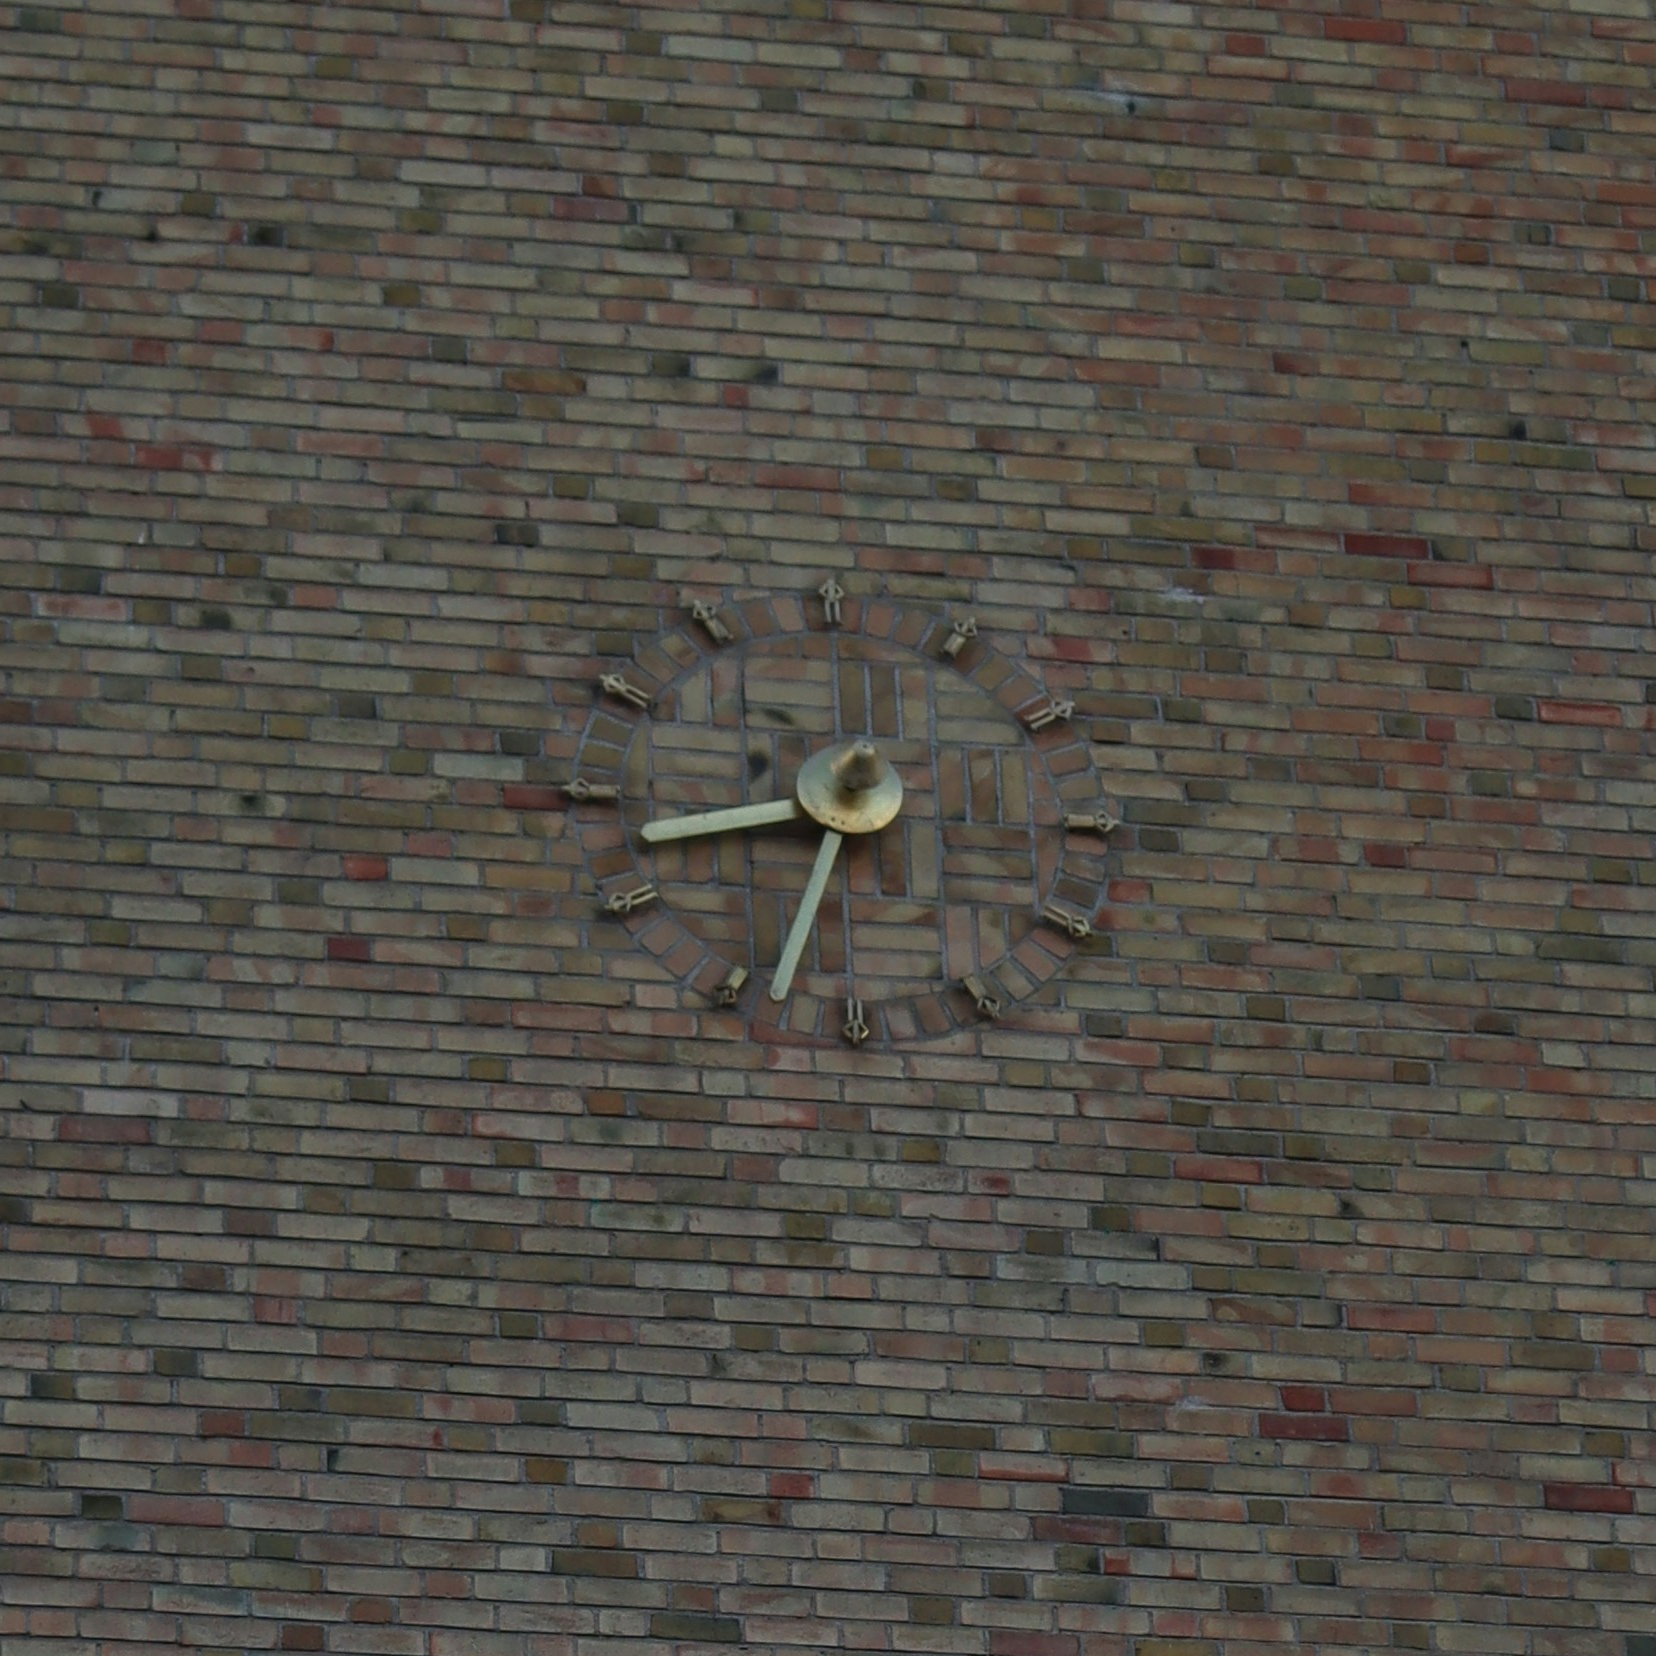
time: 8:33
